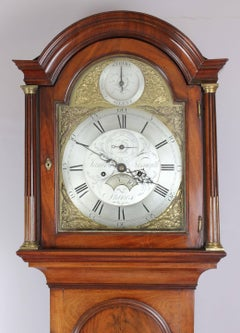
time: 3:48
